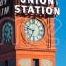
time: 6:47
